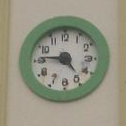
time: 4:46
